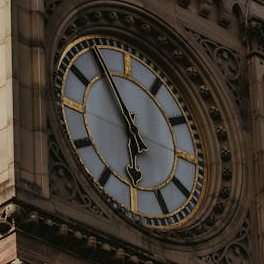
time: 5:54
